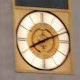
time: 8:11
